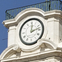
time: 12:12
